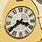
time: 3:39
